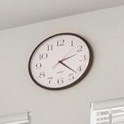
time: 2:22
